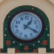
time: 1:19
